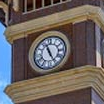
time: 11:25
